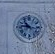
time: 10:45
